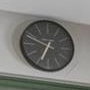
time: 6:48
